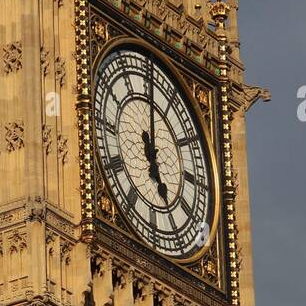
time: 5:00
